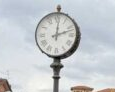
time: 12:11
